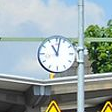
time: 11:02
